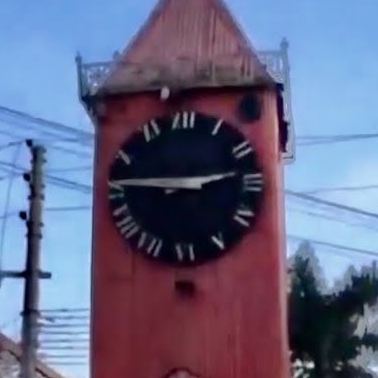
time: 2:46
